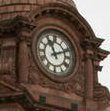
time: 11:11
